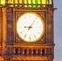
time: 9:06
